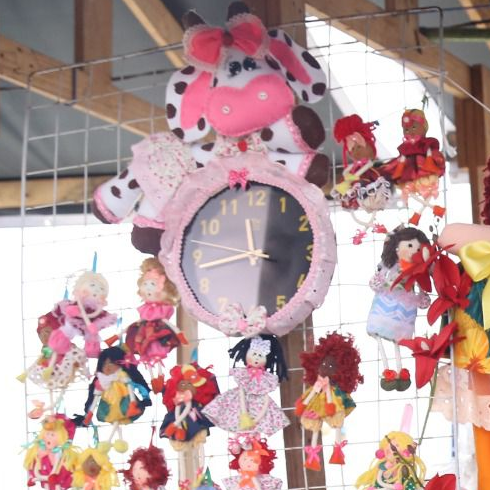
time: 11:42
